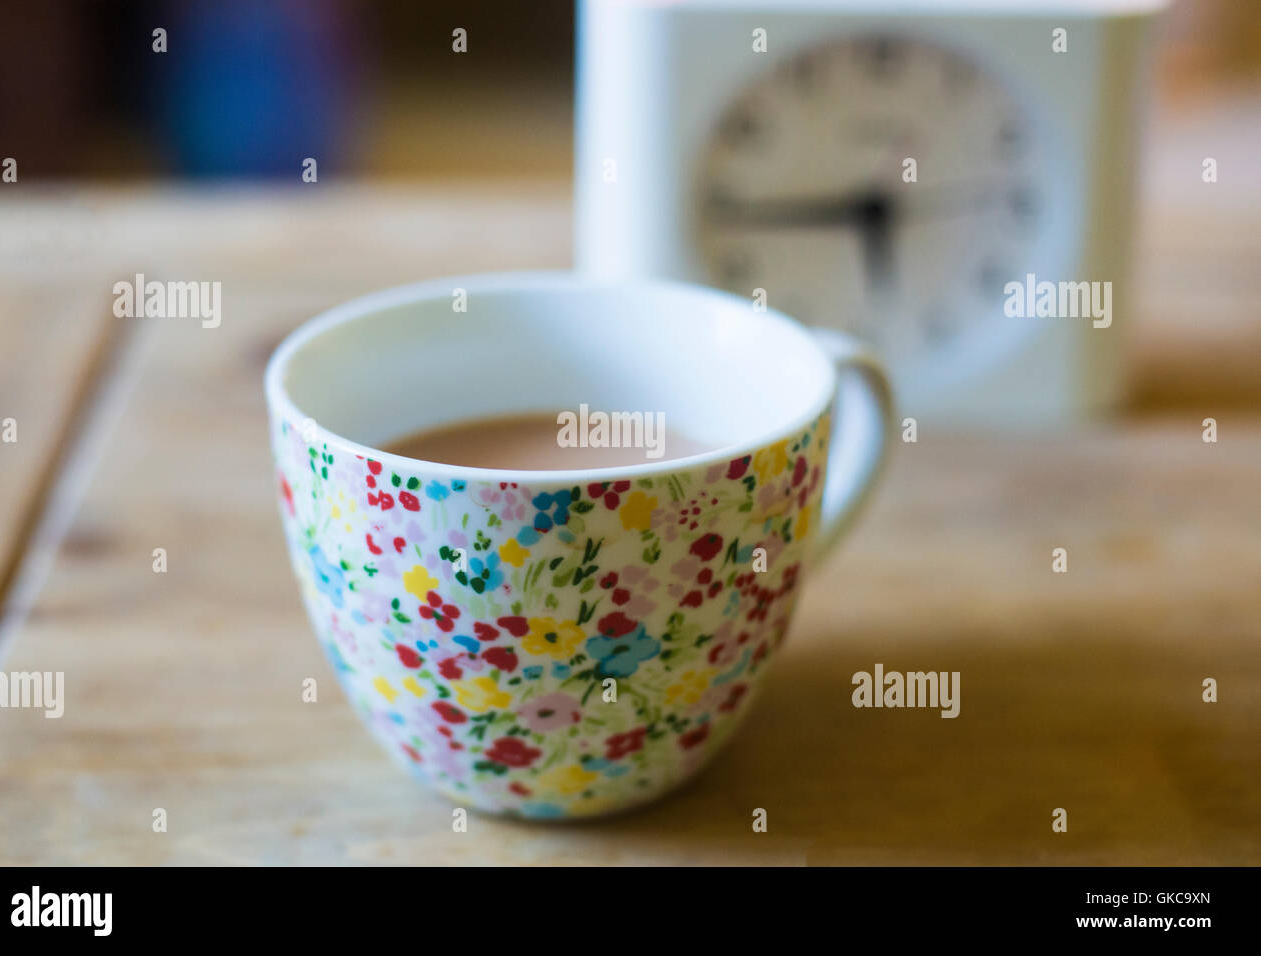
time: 5:43
